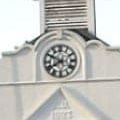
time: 7:49
